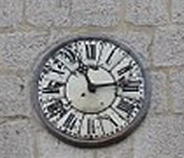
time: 11:13
